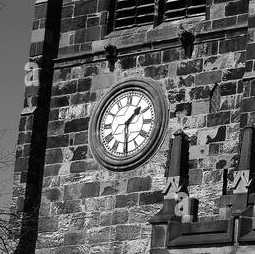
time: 1:29
